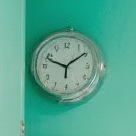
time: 1:48
